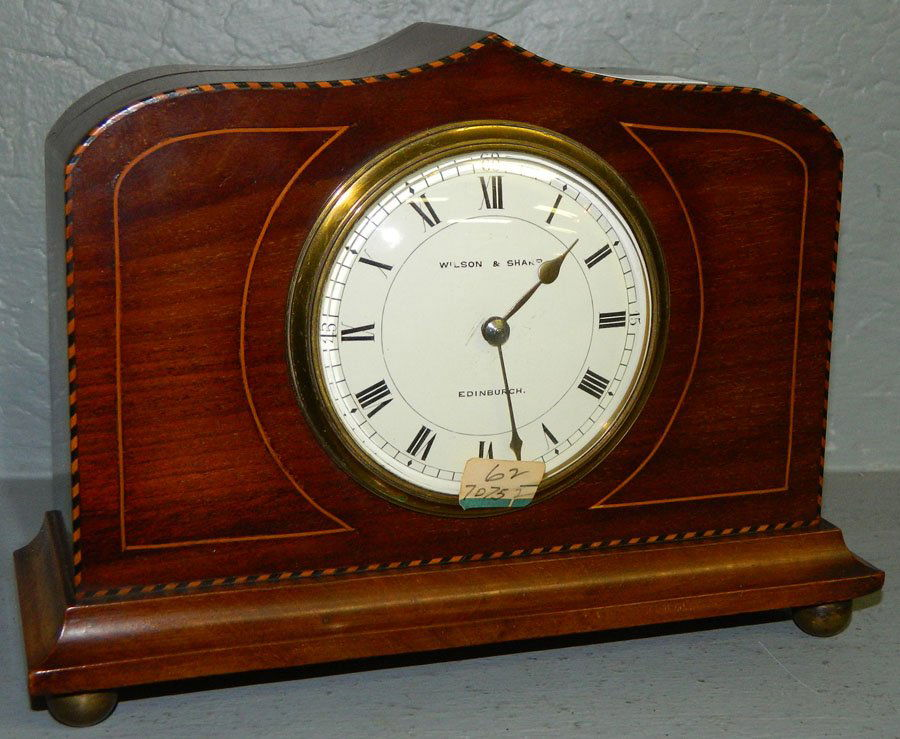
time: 1:27
